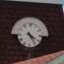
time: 4:24
